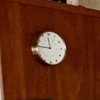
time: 11:46
